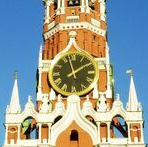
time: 1:57
